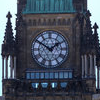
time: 1:50
